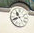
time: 10:41
